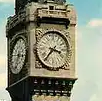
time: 3:37
